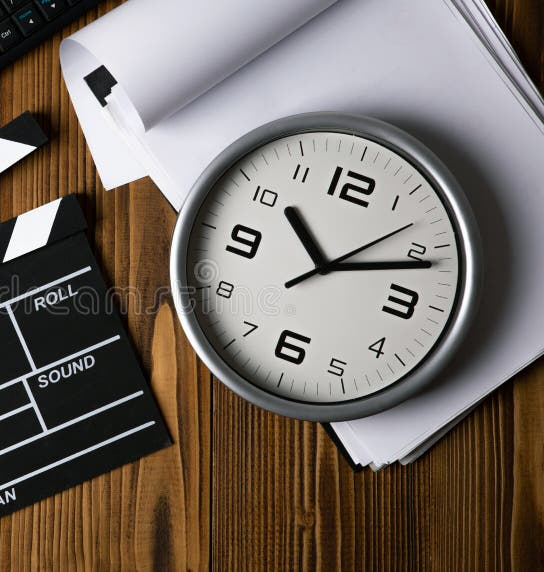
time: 10:11
